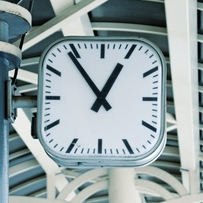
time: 12:54
